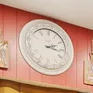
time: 2:16
